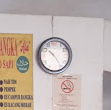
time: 10:24
